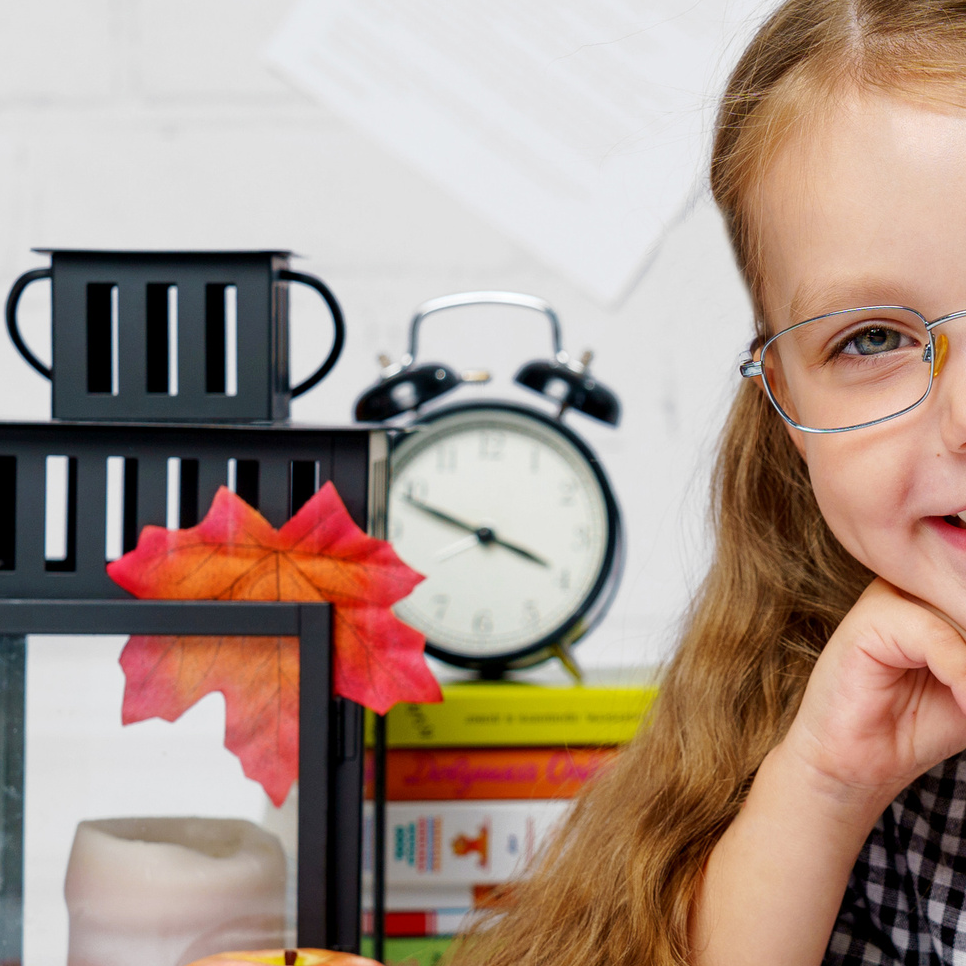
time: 3:48
